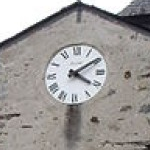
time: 4:09
